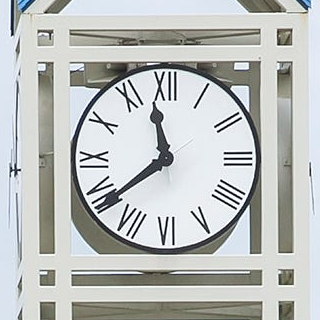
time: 11:38
